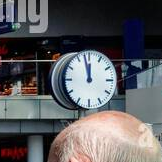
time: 11:57
